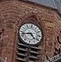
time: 4:42
